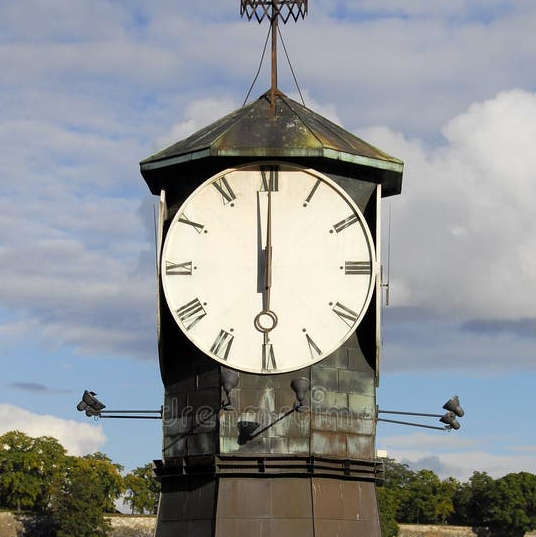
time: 5:59
